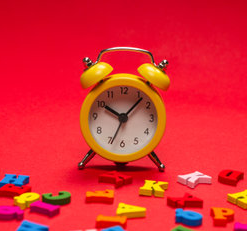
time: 10:07
